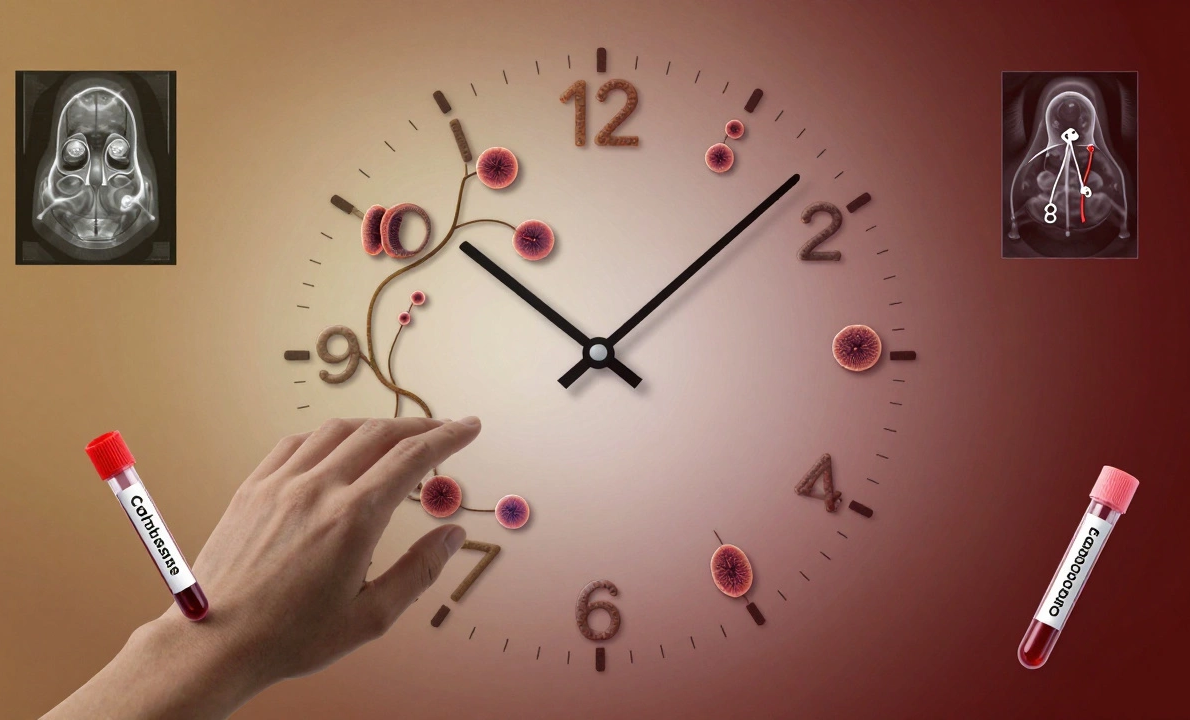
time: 10:07
